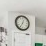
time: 12:34
